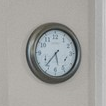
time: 5:36
